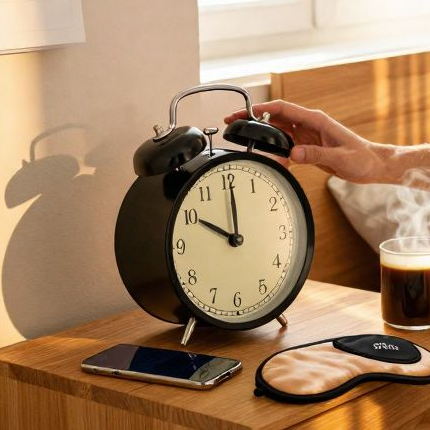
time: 10:00
